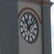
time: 11:07
